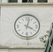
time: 4:02
